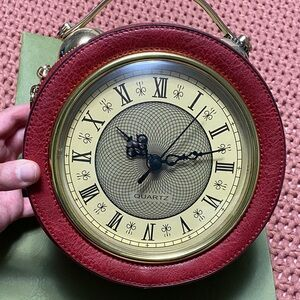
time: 10:12
